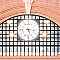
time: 5:16
